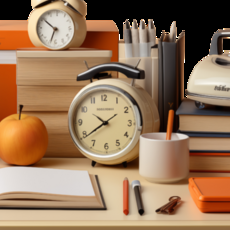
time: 10:39
